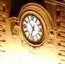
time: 10:33
